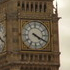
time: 4:19
